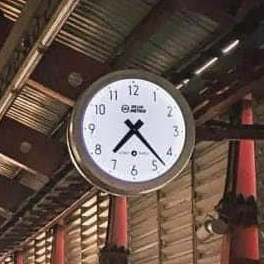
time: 7:22
